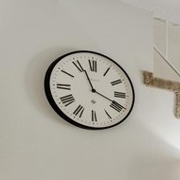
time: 11:18
